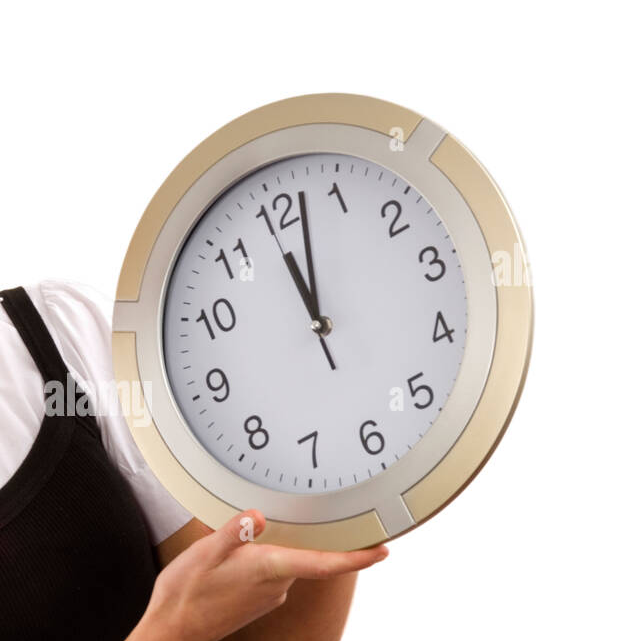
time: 12:02
